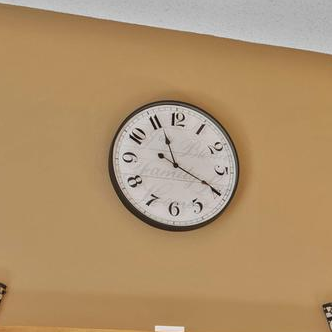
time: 11:19
